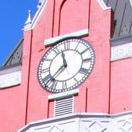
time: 11:37
